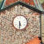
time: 5:30
